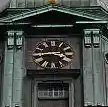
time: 3:43
